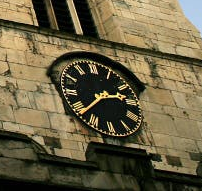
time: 2:38
